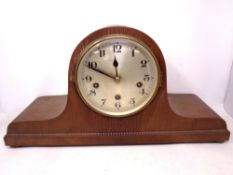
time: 11:49
